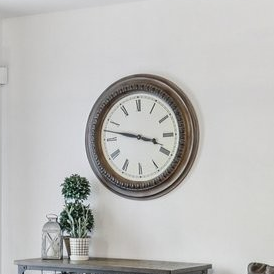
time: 3:47
